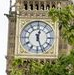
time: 12:26
